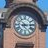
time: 5:14
